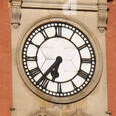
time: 6:36
